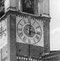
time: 12:16
